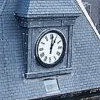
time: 1:01
